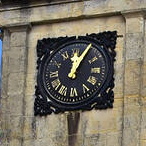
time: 12:05
